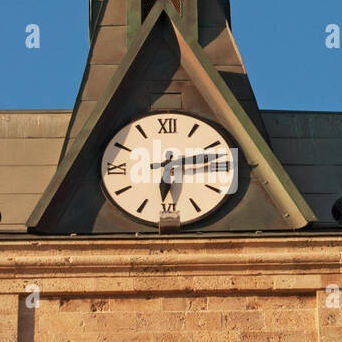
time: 6:13
